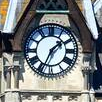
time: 1:34
